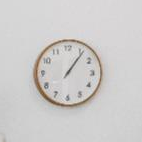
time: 1:06
